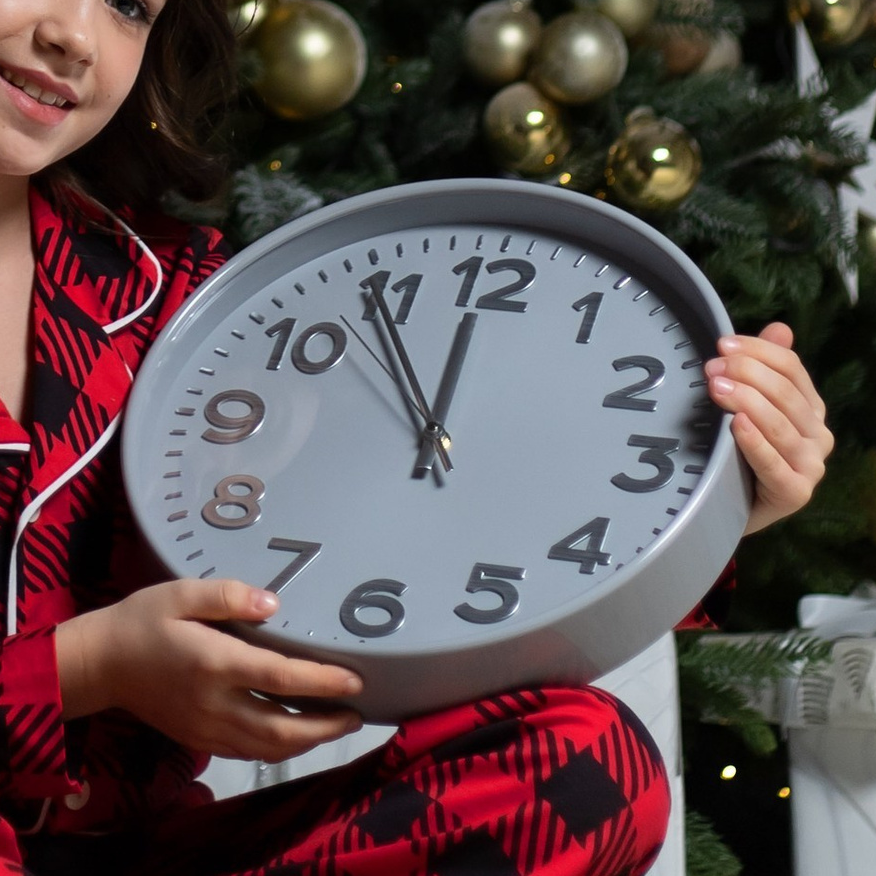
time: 11:54
